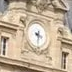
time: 3:31
